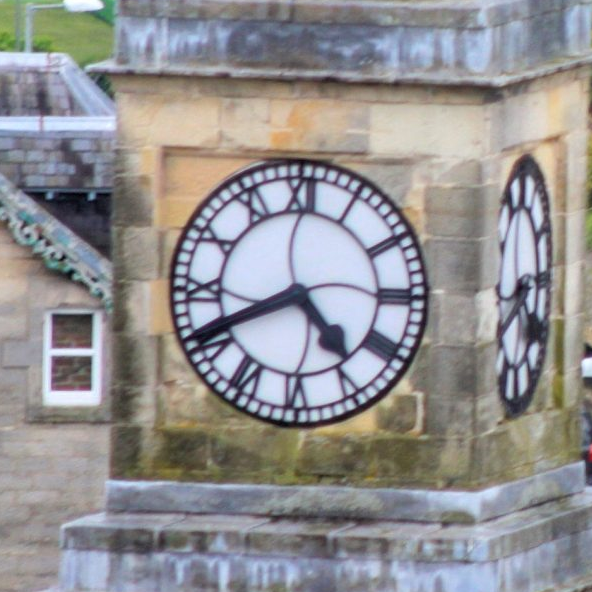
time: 4:40
